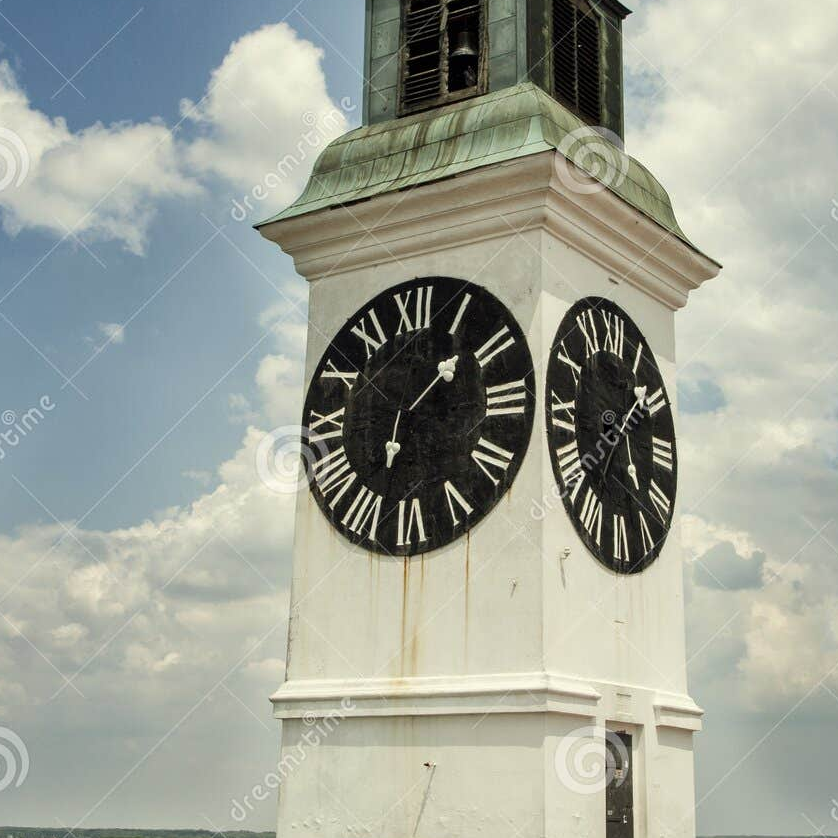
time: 1:33
